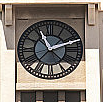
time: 11:11
